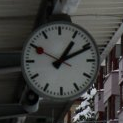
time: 1:10
